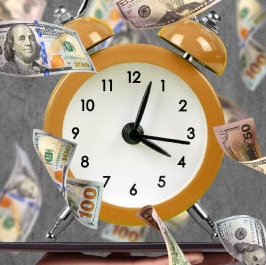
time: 4:03
